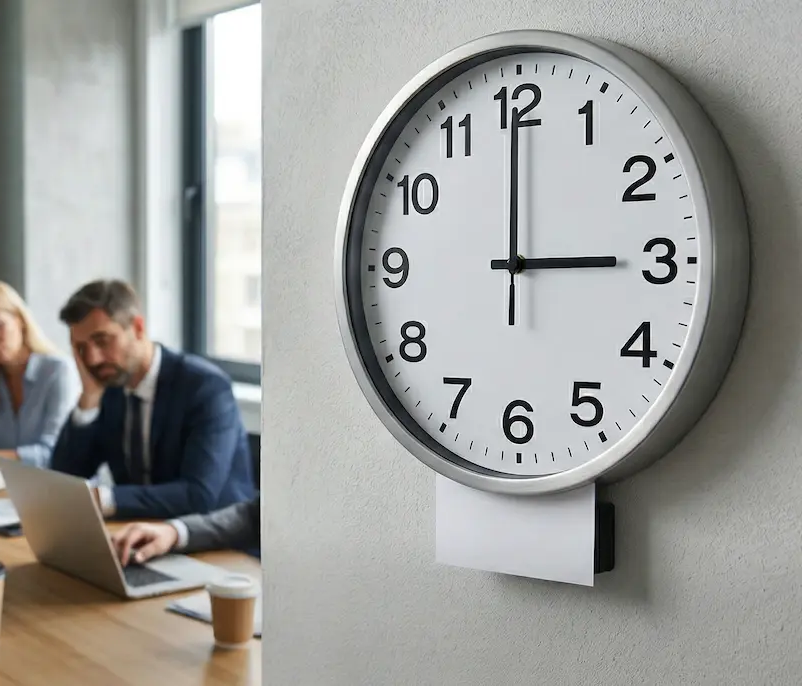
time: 3:00
